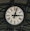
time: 3:02
